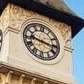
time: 9:16
